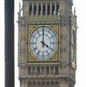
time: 4:00
